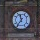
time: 11:36
